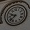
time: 9:38
